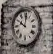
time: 10:00
